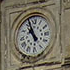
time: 10:56
